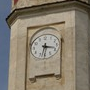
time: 3:32
